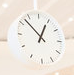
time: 12:52
